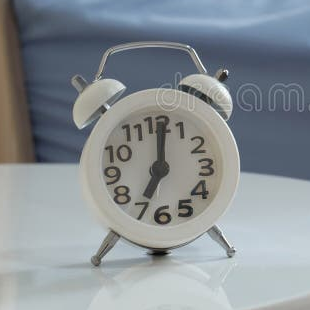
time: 7:01
